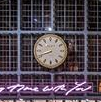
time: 8:41
